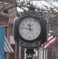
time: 11:46
